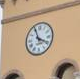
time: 3:56
